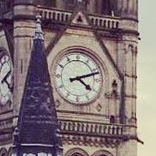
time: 4:11
